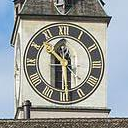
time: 10:29
